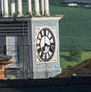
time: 7:17
